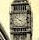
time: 3:51
